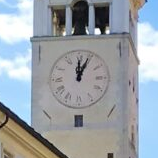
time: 12:04
